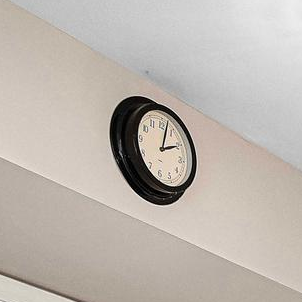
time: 2:02
